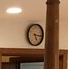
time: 5:15
